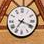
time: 7:18
